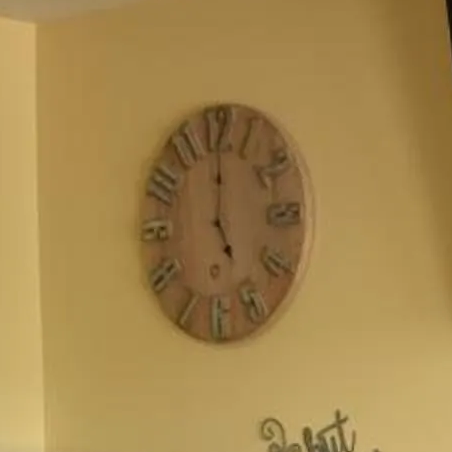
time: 5:00
